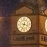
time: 3:34
